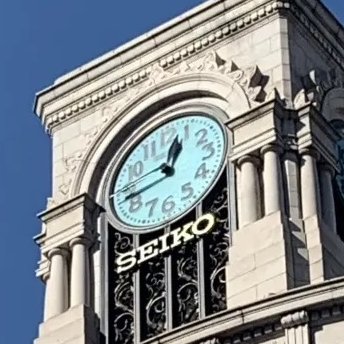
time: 12:42
